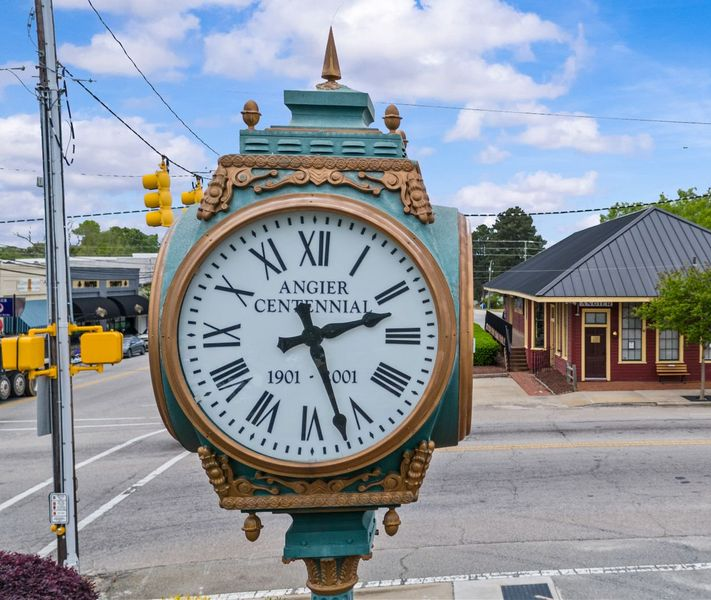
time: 2:26
